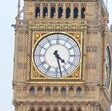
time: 4:27
